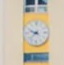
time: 9:38
